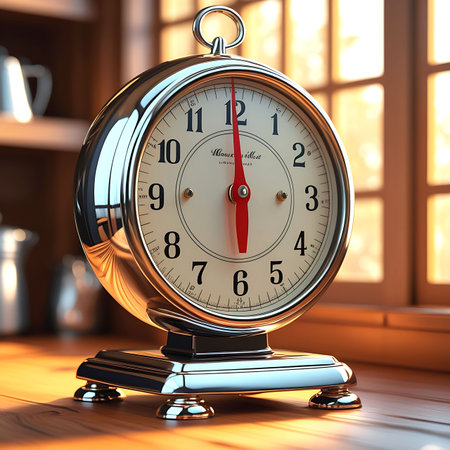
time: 5:59
